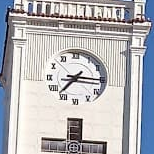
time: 7:15
